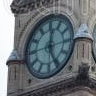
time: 12:24
